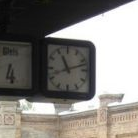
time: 11:12
